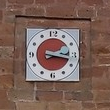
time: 2:17
